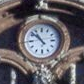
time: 10:52
